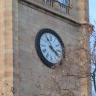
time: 3:54
